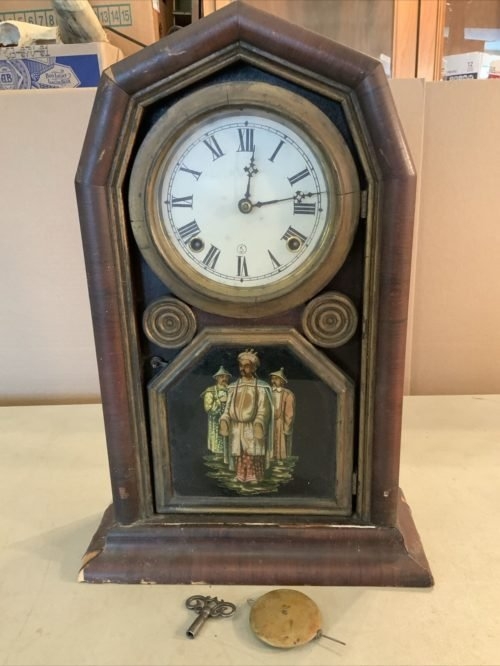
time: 12:12
